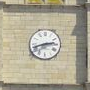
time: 2:42
